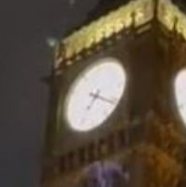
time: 7:20
